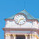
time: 2:36
